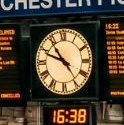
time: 10:48
